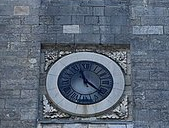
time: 11:21
